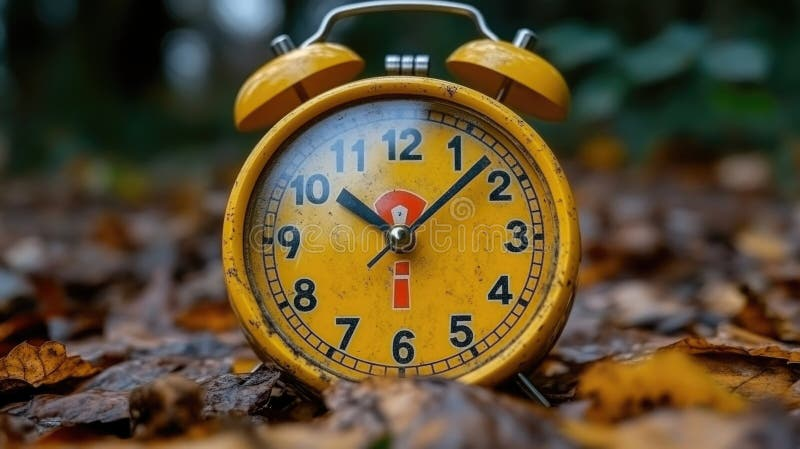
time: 10:07
